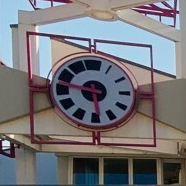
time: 5:45
